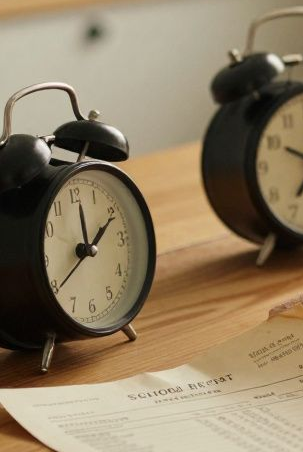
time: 12:10
